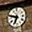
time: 6:47
